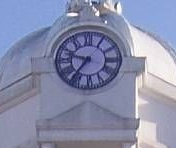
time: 9:36
